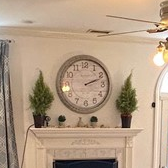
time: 2:11
